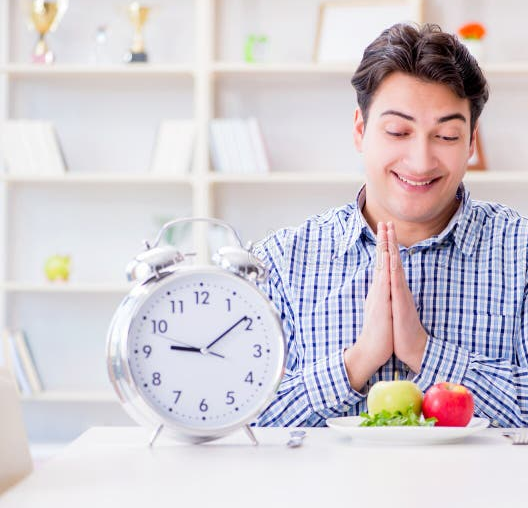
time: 9:09
